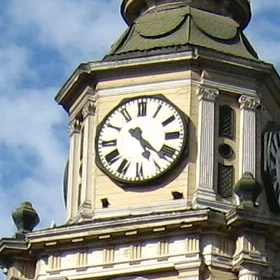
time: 5:22
